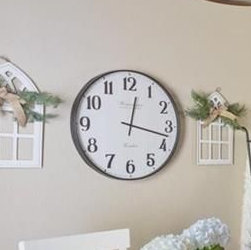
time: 12:17
